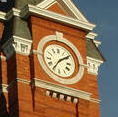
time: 7:09
